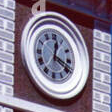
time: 12:19
